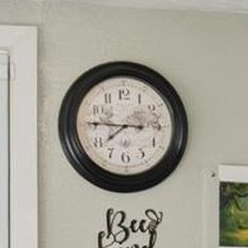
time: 7:45
